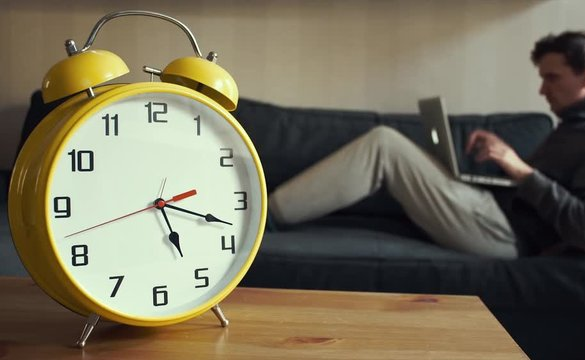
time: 5:17
